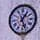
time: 1:26
